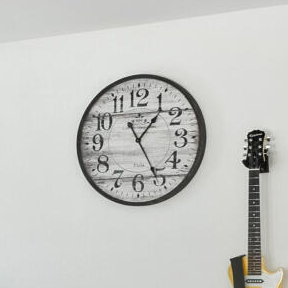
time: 1:25
